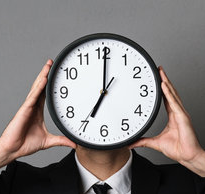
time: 7:00
